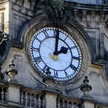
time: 2:01
